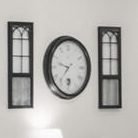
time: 9:36
